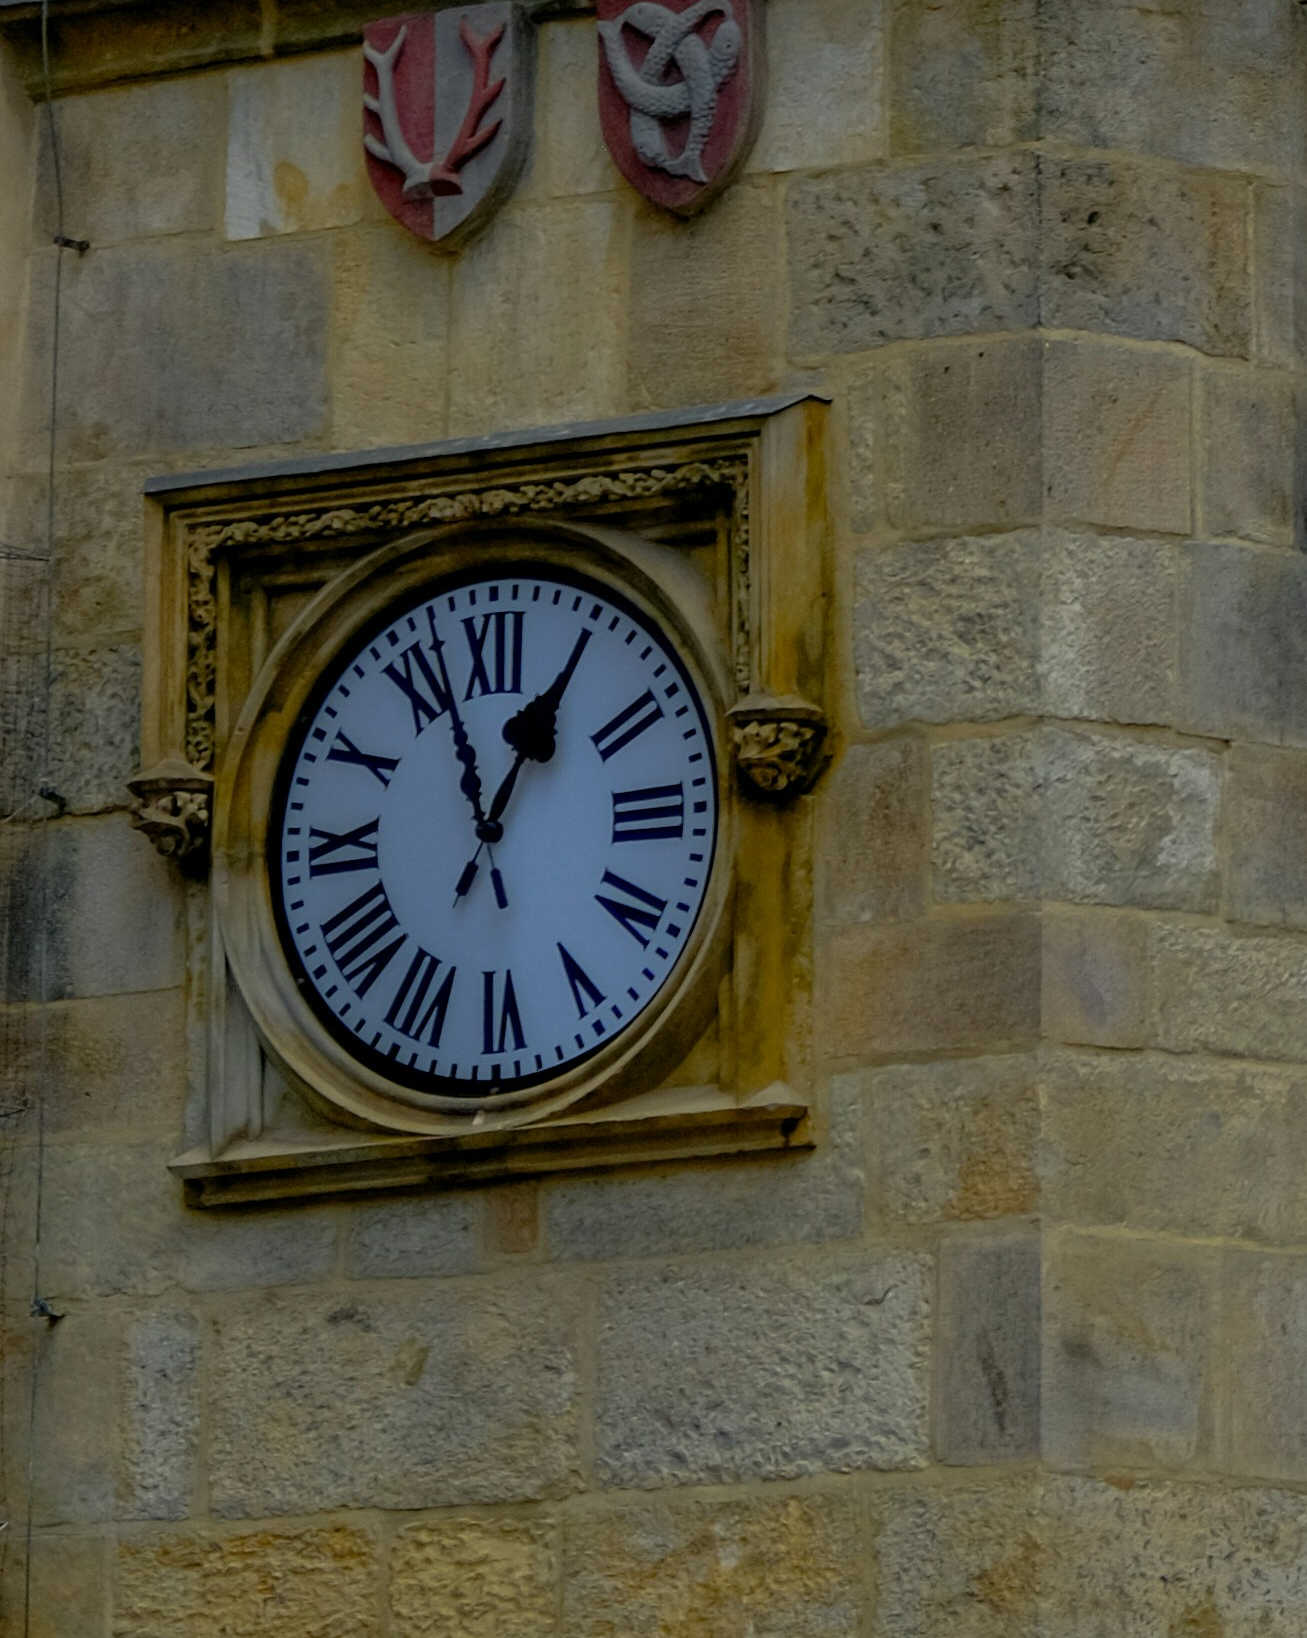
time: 12:57
